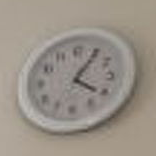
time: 4:05
